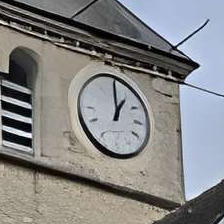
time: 12:59
